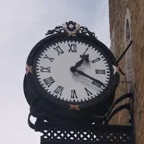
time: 1:19
